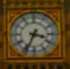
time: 3:34
